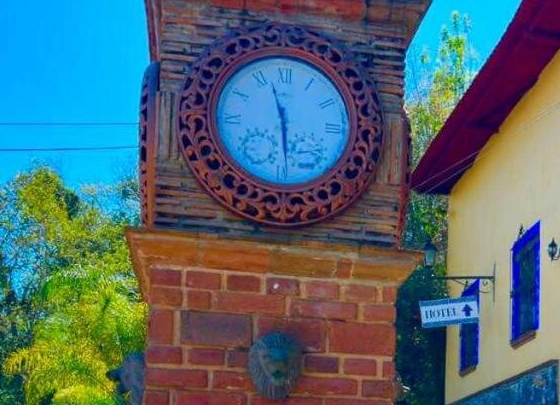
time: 11:29
